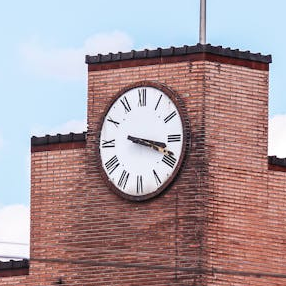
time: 3:17
